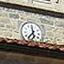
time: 11:37
